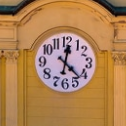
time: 12:22
